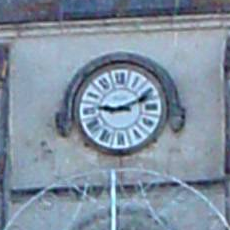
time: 9:11
